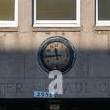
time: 11:44
